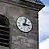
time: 3:02
